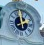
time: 1:59
